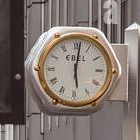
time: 6:01
